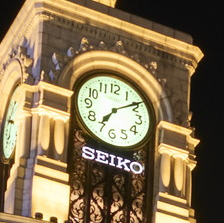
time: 7:09
